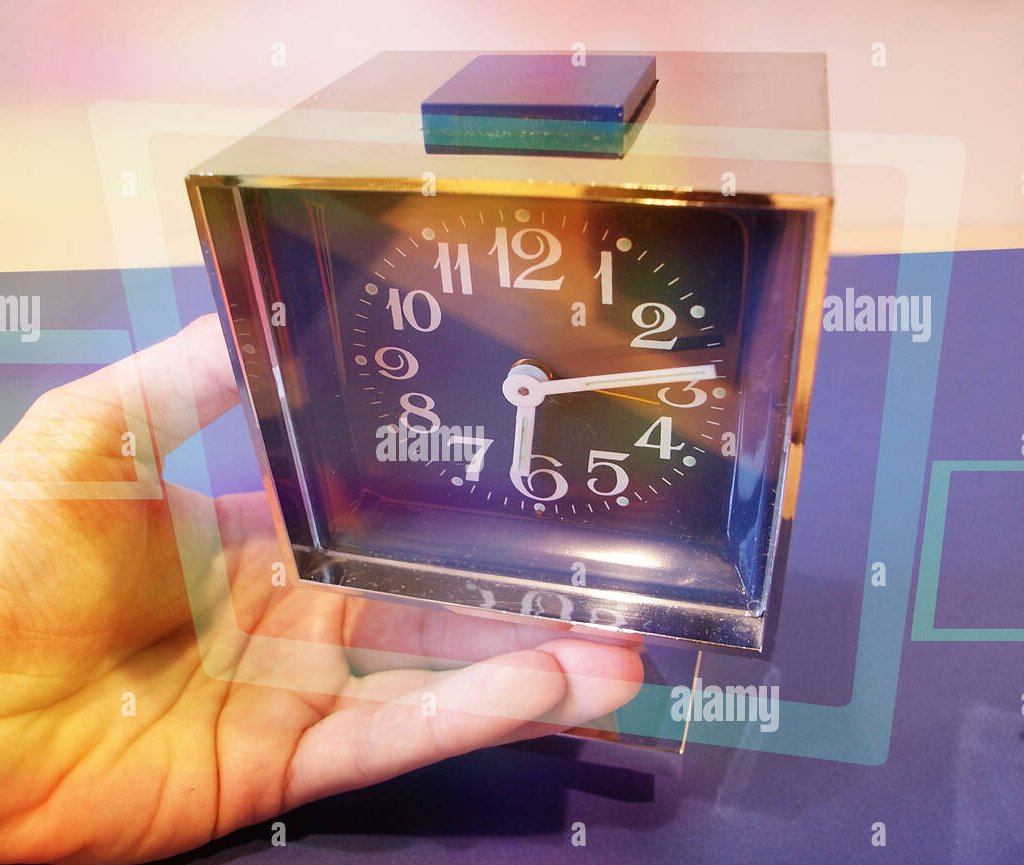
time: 6:14
